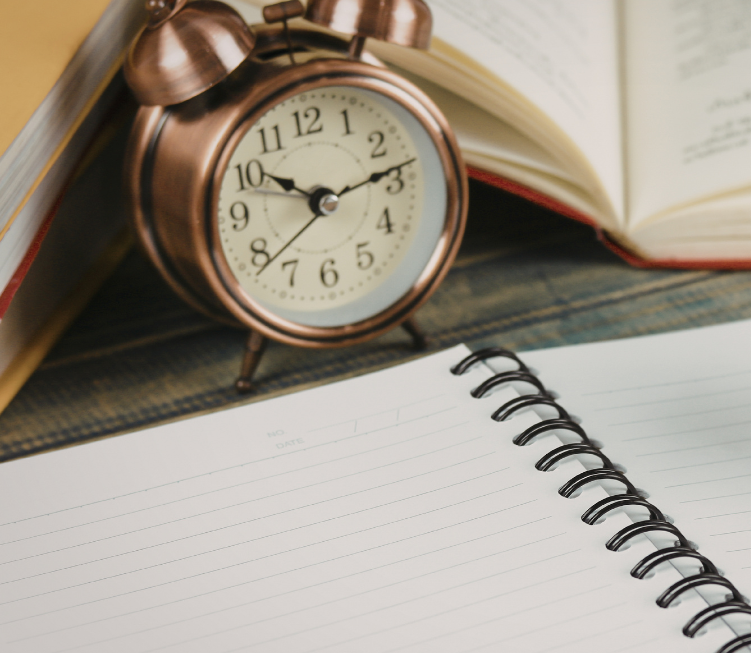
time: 10:13
